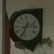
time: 2:34
